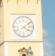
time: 4:08
